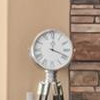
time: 12:18
